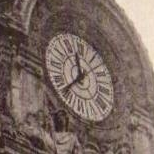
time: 11:37
